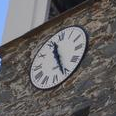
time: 11:26
